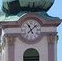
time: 11:07
